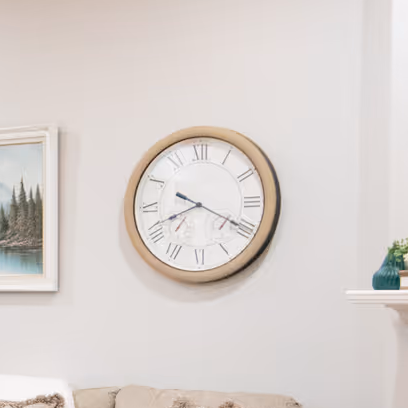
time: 8:19
